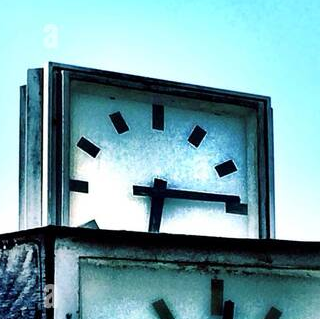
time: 6:14
